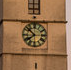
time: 7:51
